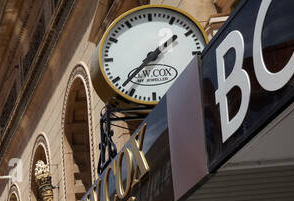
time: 1:37
